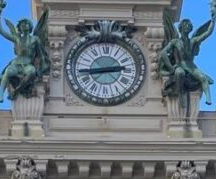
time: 2:44
